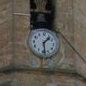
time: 1:28
